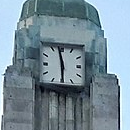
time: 5:58
